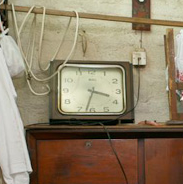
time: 3:32
